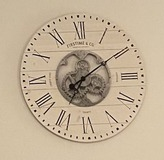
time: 7:09
